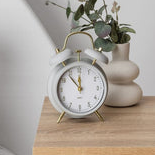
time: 11:53
